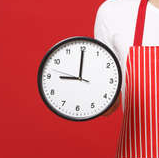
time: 8:59
